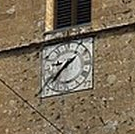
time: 8:38
